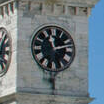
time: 11:12
